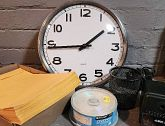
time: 1:44
